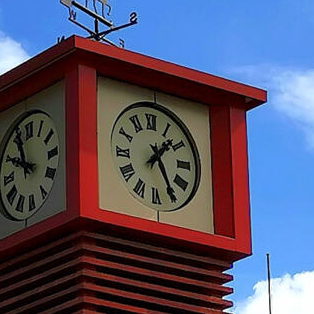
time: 1:25
